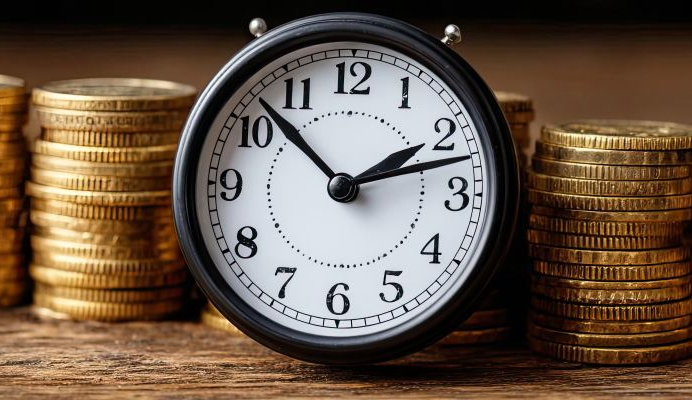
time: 1:52
